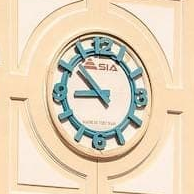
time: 8:52
